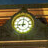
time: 9:01
